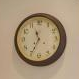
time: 11:34
